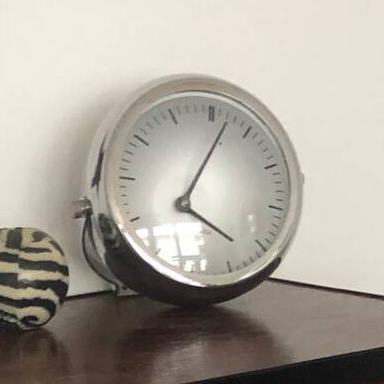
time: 4:07
